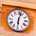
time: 6:02
